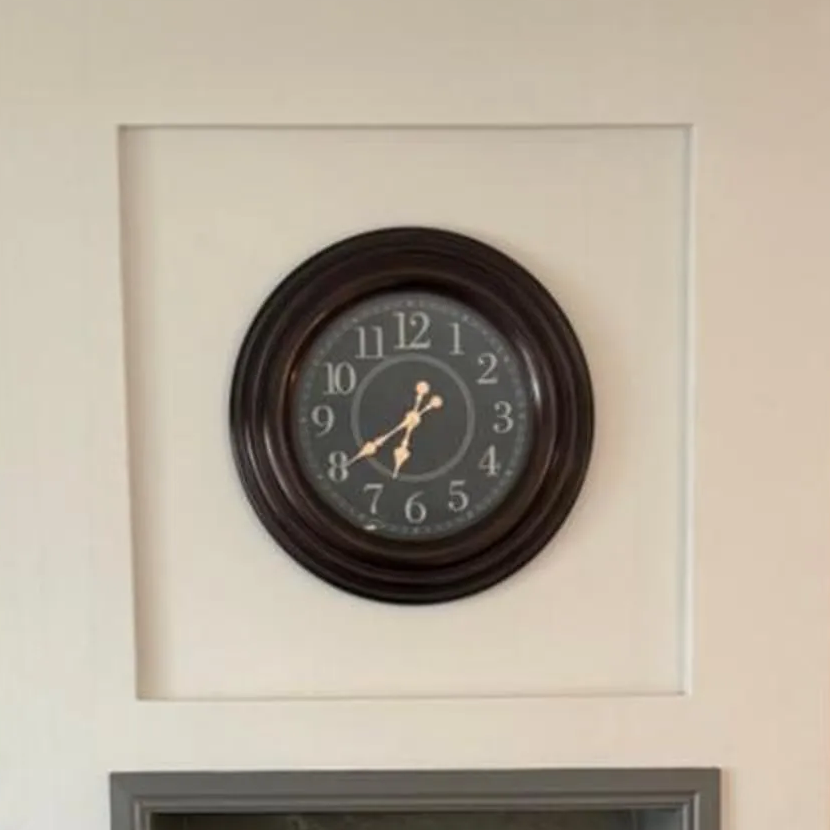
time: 6:39
